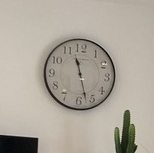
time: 11:27
